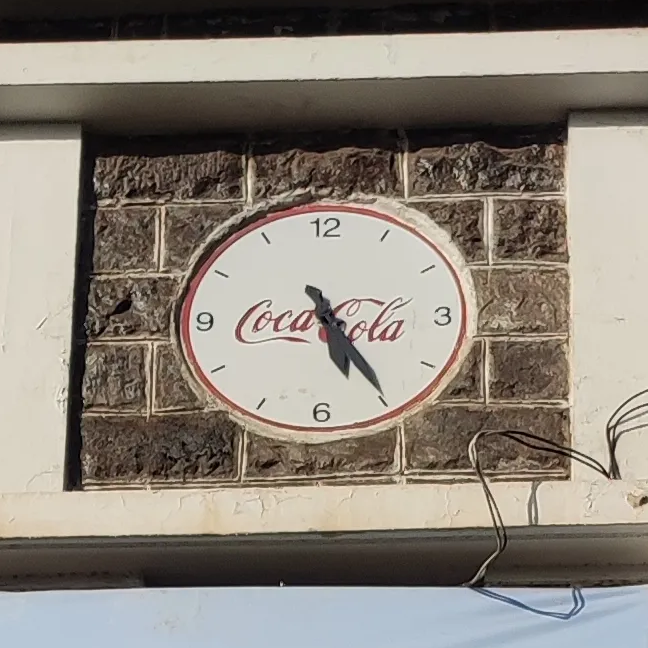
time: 5:24
